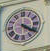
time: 4:20
